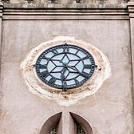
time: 6:20
